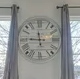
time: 11:46
